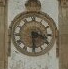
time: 3:29
